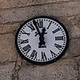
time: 12:57
